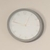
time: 12:47
